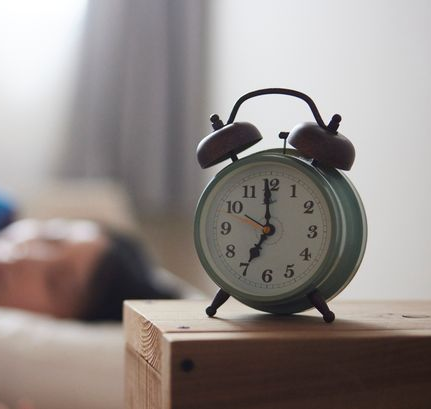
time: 6:59
